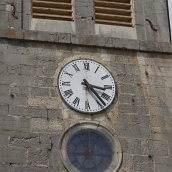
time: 3:23
